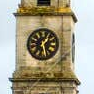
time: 1:28
